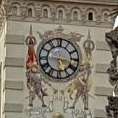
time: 5:17
